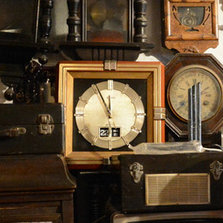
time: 11:55
